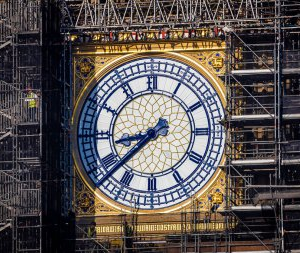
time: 8:38
